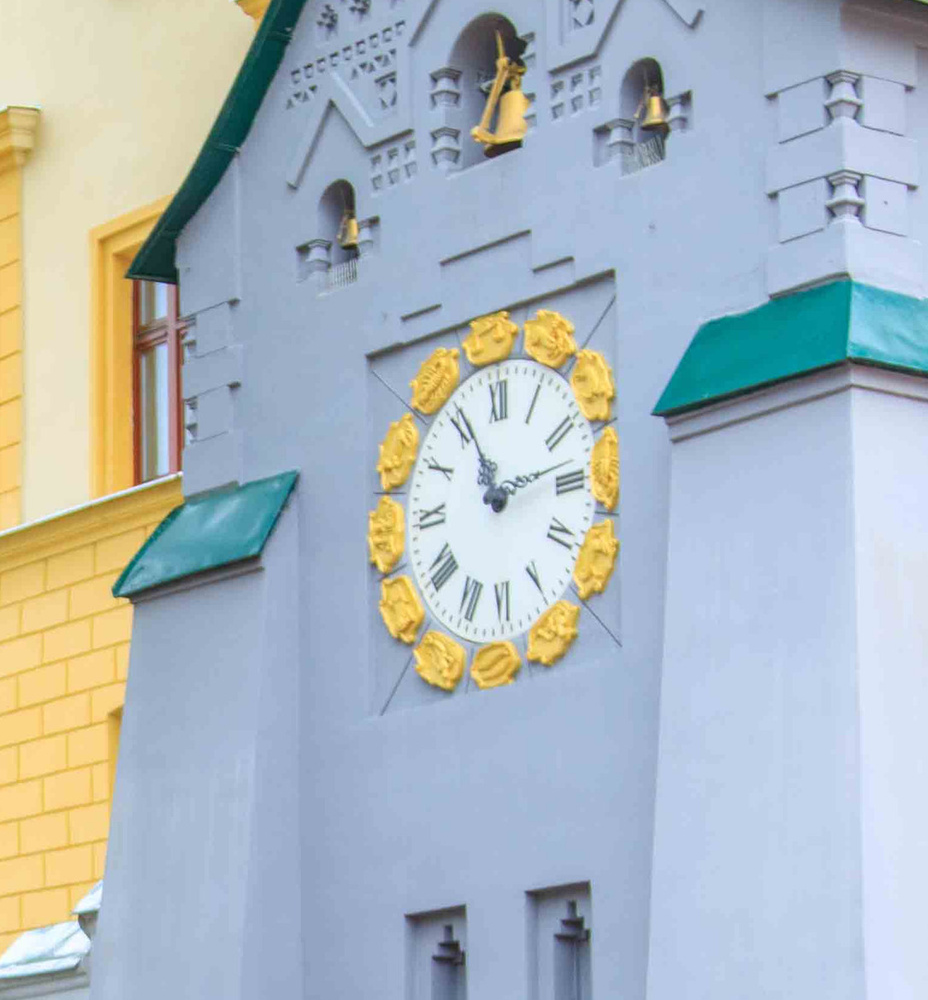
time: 11:12
